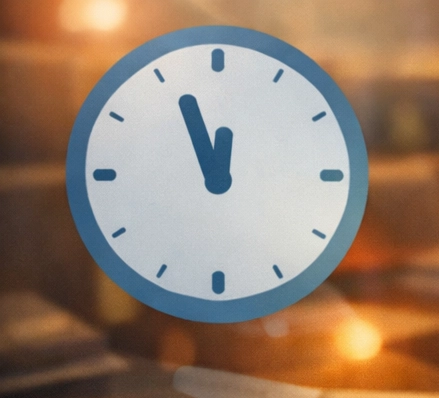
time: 11:56
